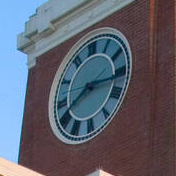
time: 8:16
